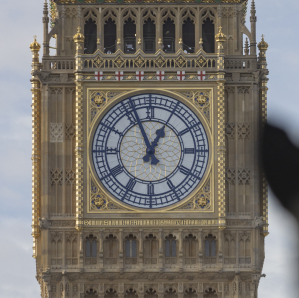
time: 12:56
